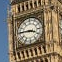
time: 3:45
